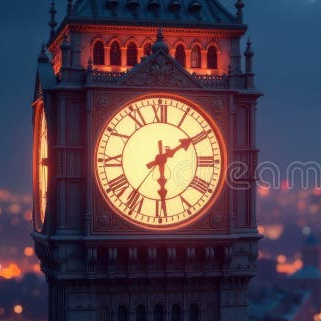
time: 6:09
